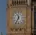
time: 11:34
